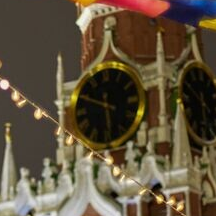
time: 5:49
